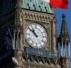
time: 10:51
